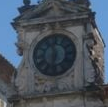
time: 11:32
